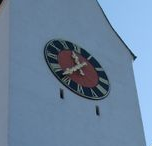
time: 11:38
